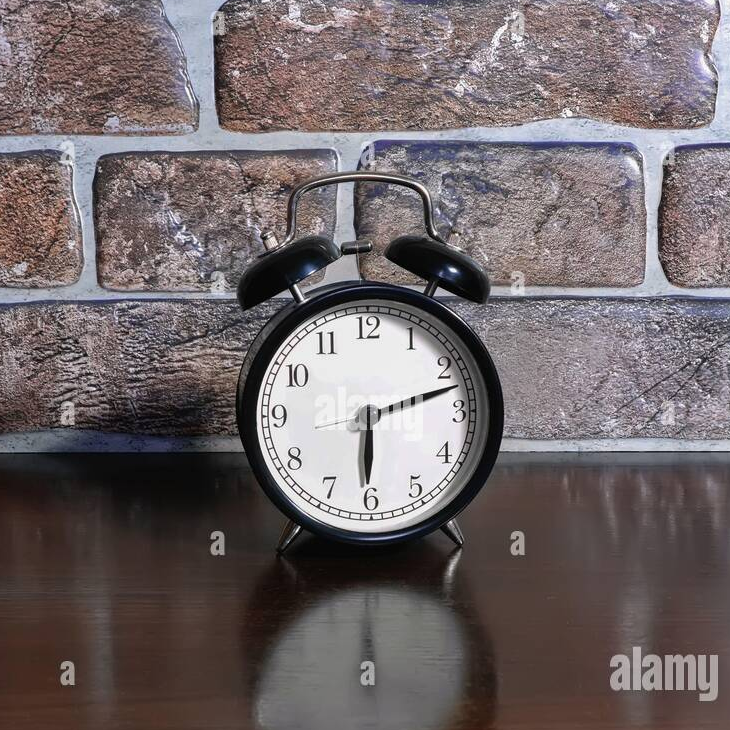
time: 6:12
